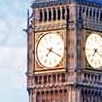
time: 7:19
